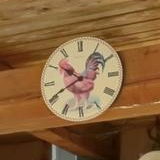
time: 10:40
